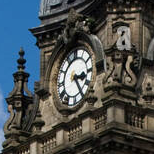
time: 3:24
